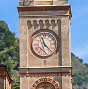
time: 11:22
